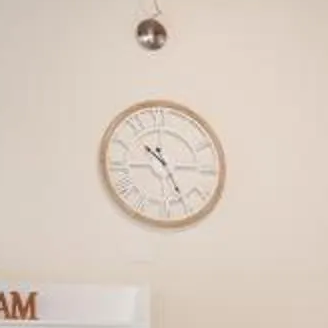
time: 10:25
